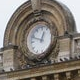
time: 12:48
